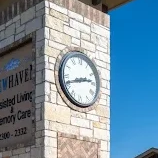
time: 2:41
